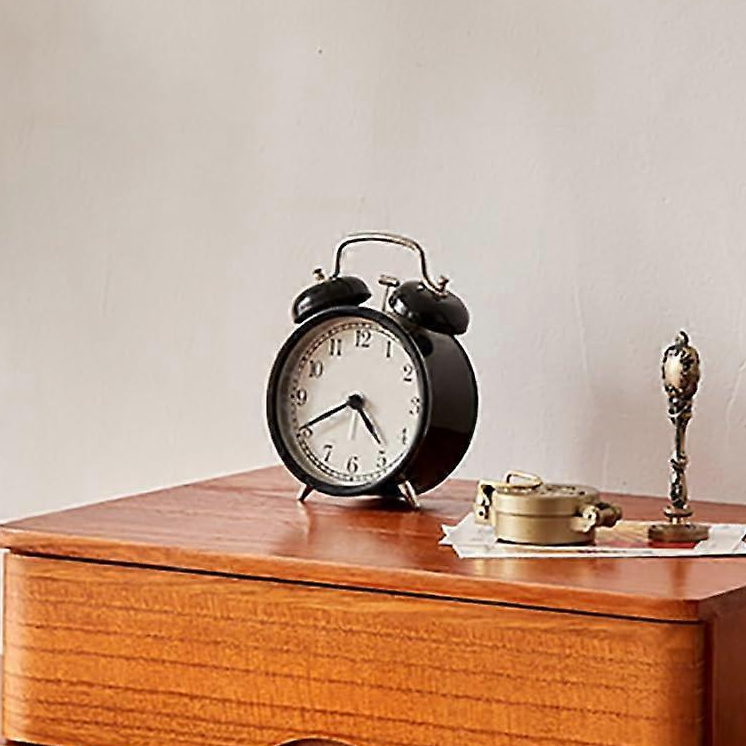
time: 4:40
